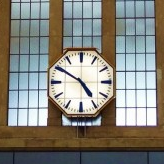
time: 4:50
